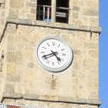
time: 4:41
